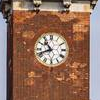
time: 10:41
